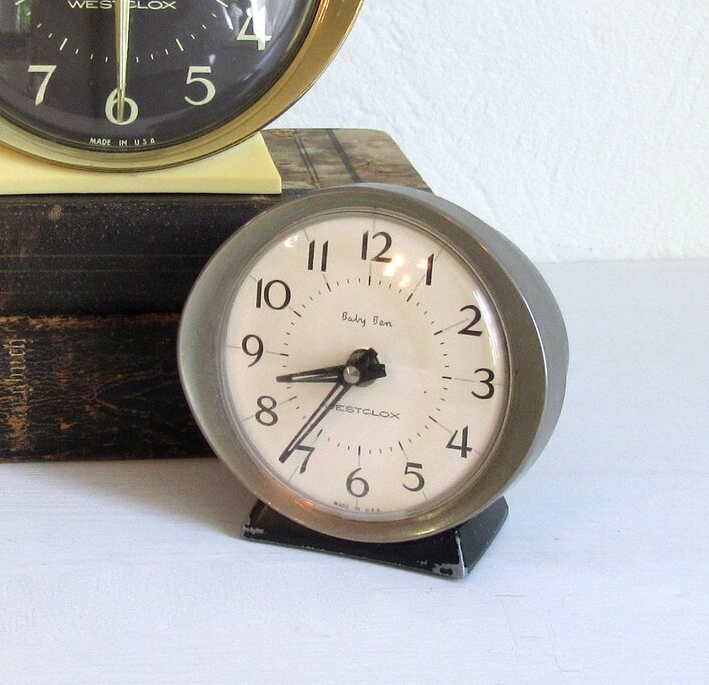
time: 8:36
